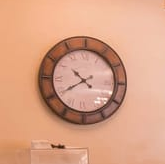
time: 10:39
